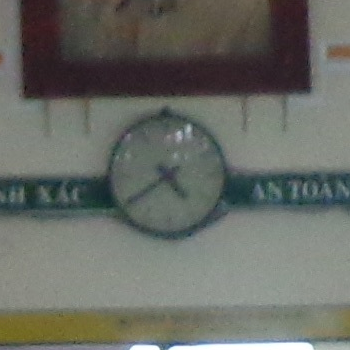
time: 4:39
